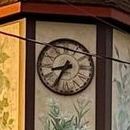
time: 8:35
